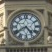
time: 4:39
